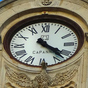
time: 4:22
